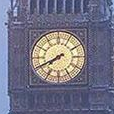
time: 7:40
